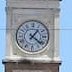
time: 1:21
